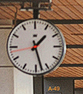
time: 1:27
